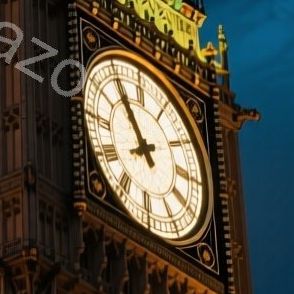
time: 7:54
